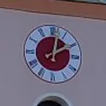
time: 2:02
